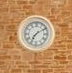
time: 7:09
